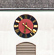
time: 6:21
